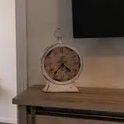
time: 4:35
